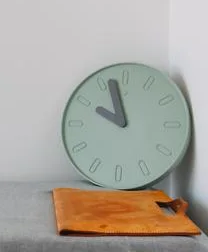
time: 9:57
